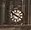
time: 3:48
